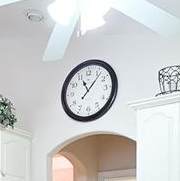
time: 11:06
